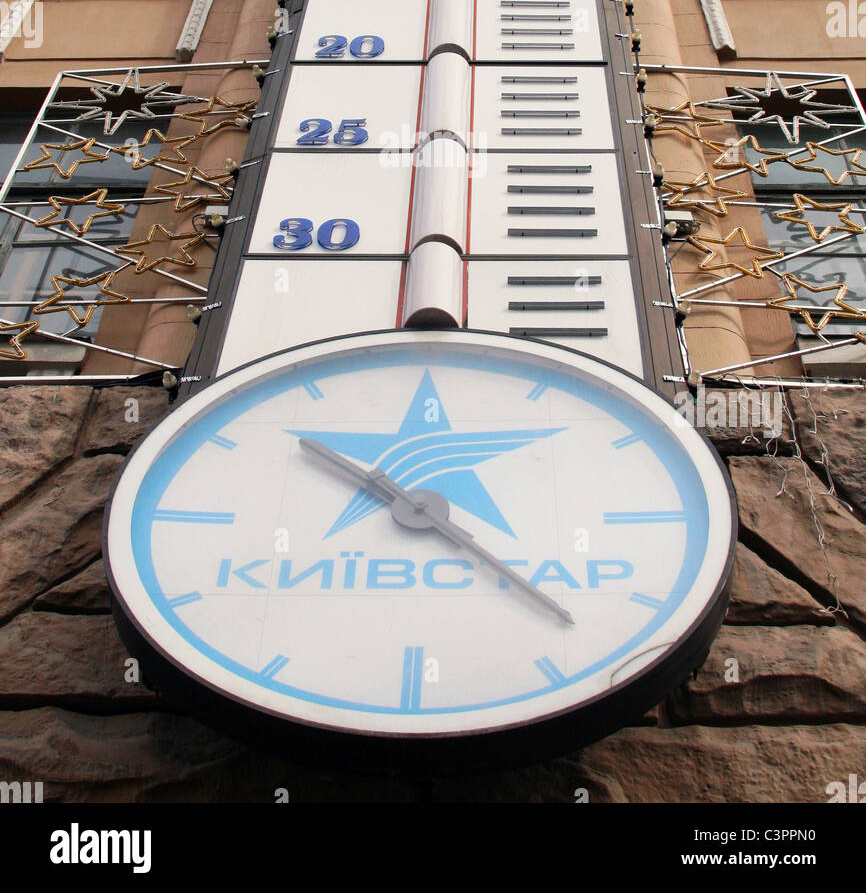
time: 10:22
